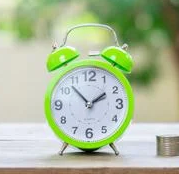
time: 1:52
